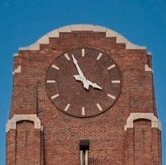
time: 3:56
